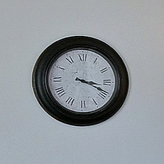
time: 3:18
